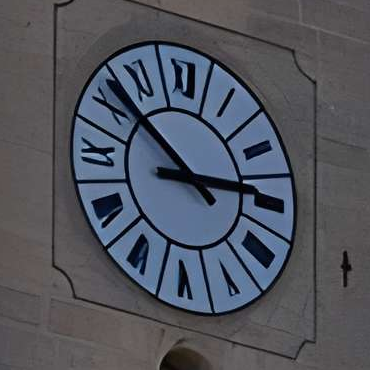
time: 2:51
